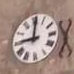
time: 9:01
